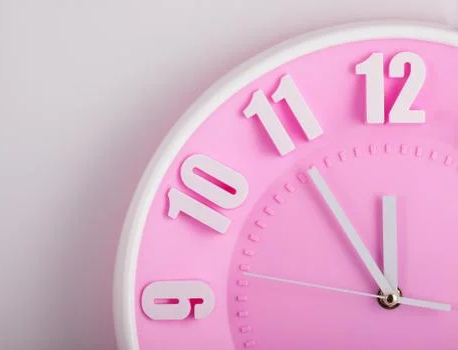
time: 11:54
